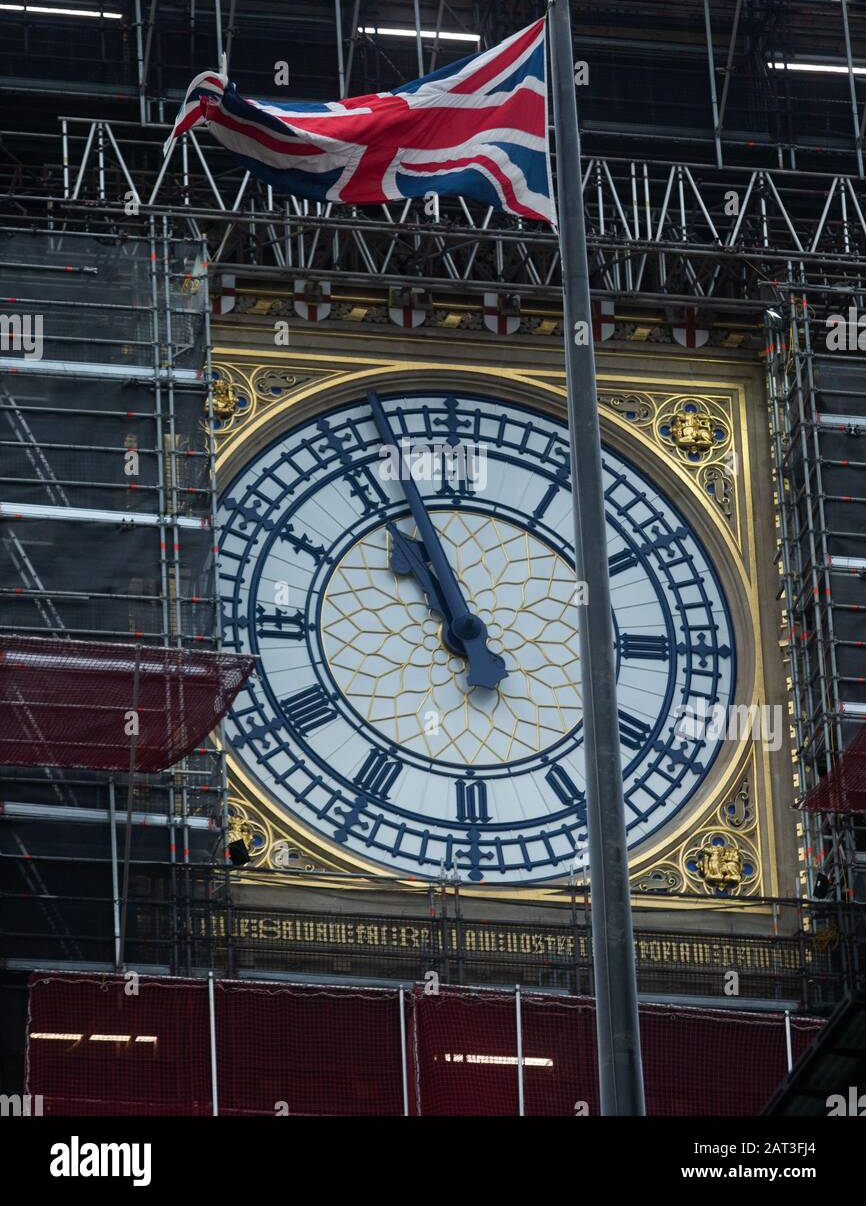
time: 10:56
